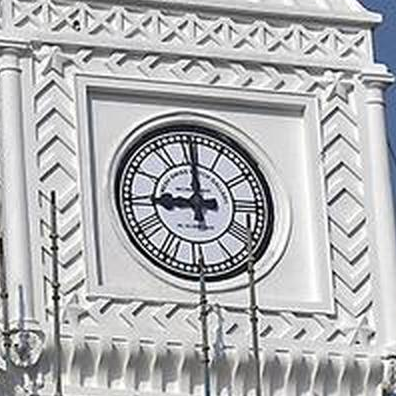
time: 8:59
